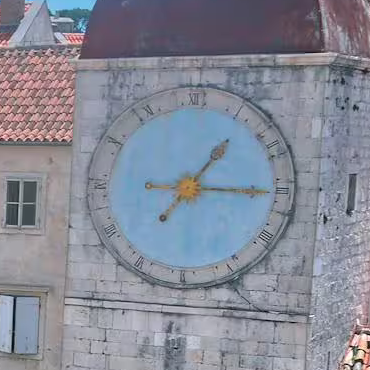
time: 1:15
